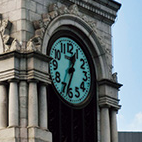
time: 12:33
